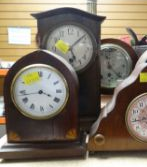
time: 3:43
